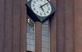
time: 5:08
